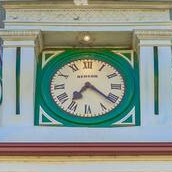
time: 7:21
